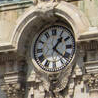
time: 1:21
